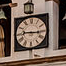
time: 9:15
